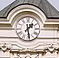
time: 1:28
